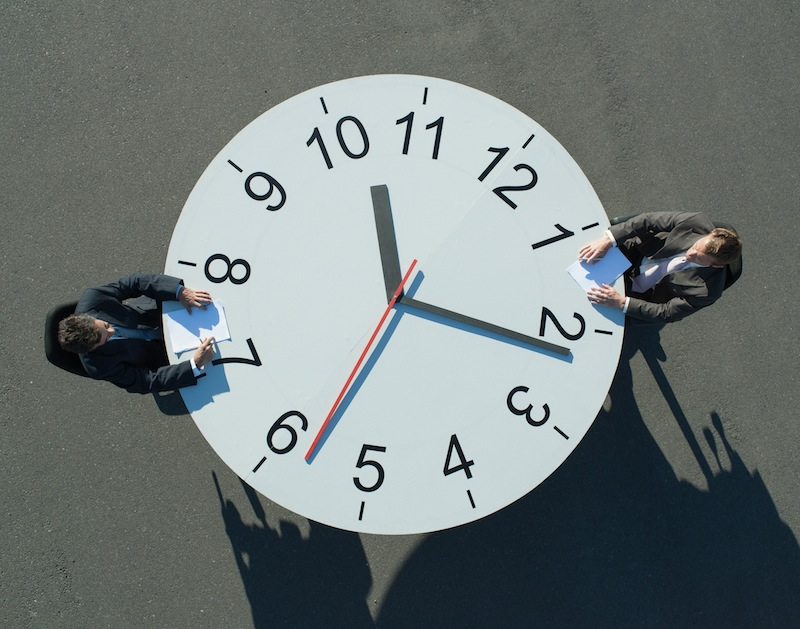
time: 12:21
